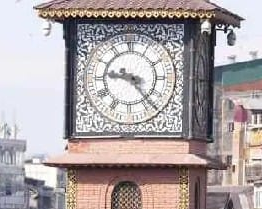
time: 9:23
